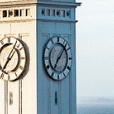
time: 7:07
